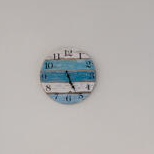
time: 5:13
